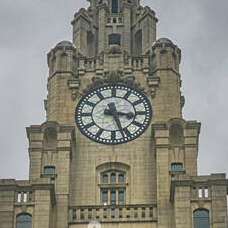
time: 3:26
